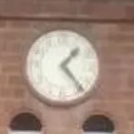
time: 1:23
